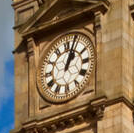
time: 1:03
